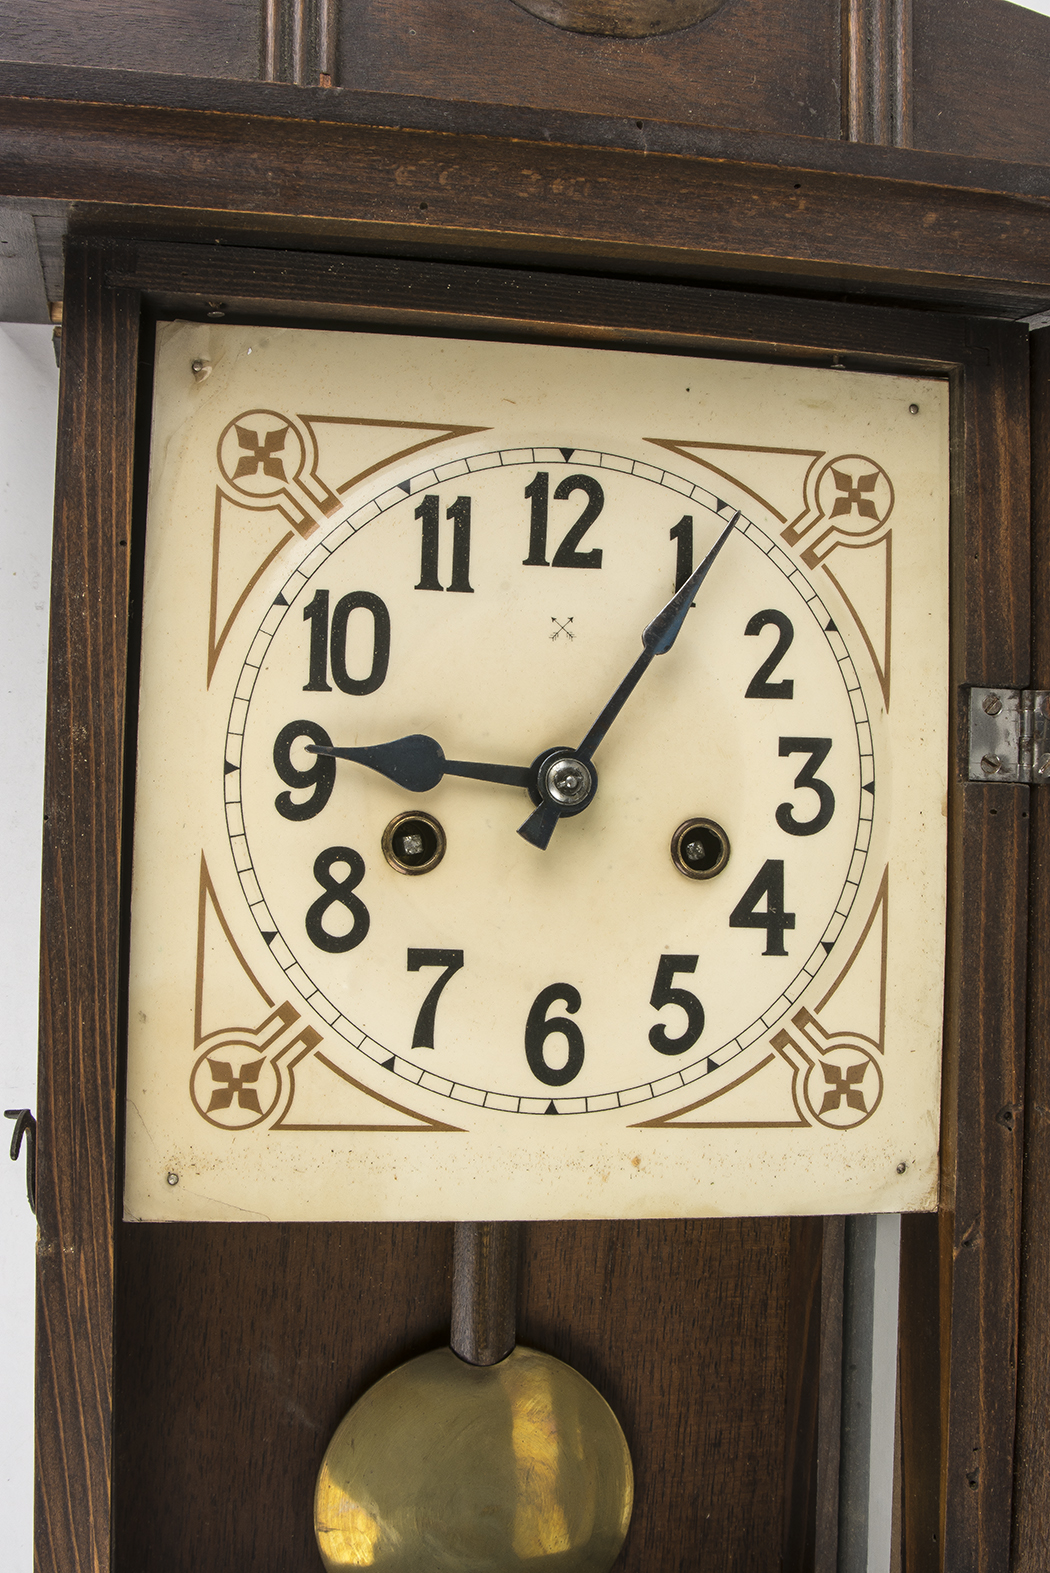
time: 9:06
